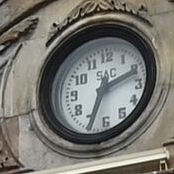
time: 2:33
